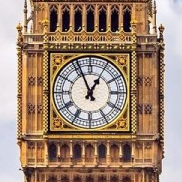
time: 12:56
